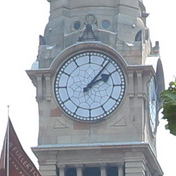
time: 2:06
